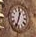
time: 12:33
